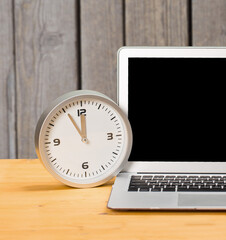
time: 11:55
